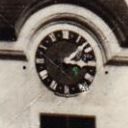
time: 3:07
